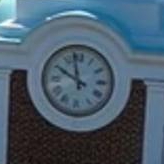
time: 9:57
